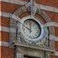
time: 10:00
